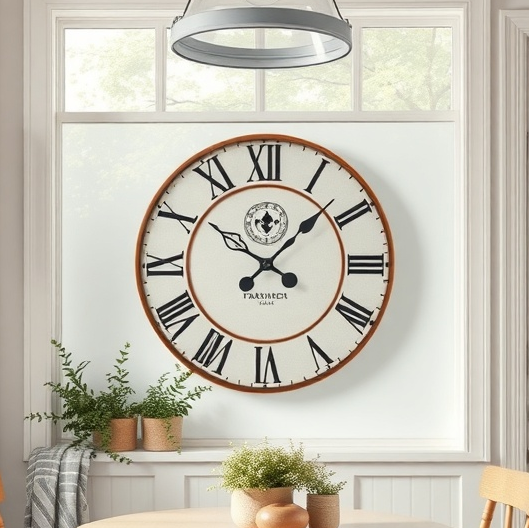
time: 10:07
